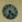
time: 4:33
